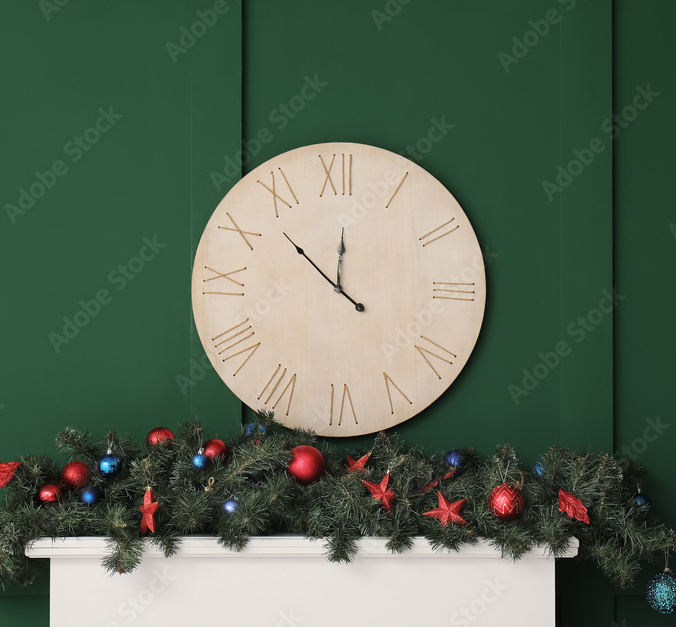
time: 11:52
